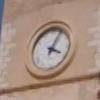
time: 4:04
